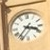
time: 3:36
